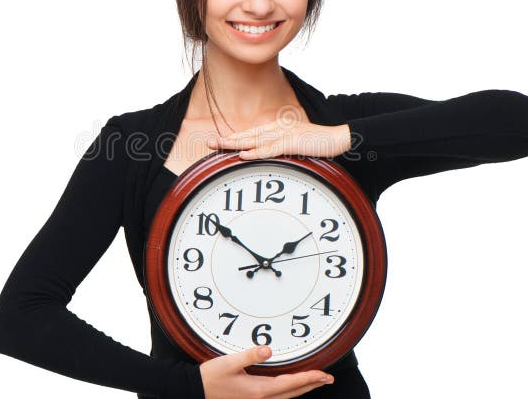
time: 1:50
